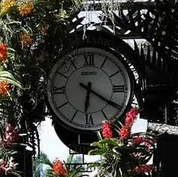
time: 6:20
